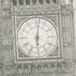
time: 6:01
